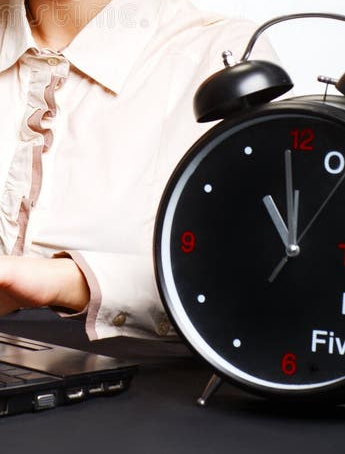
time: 10:59
